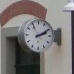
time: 2:09
